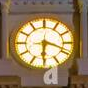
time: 6:18
